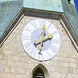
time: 2:01
